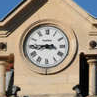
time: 8:45
